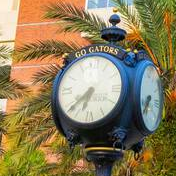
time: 6:38
